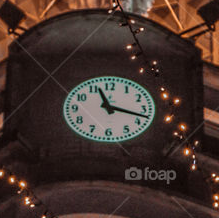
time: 11:17
